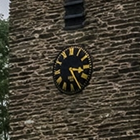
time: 3:25
